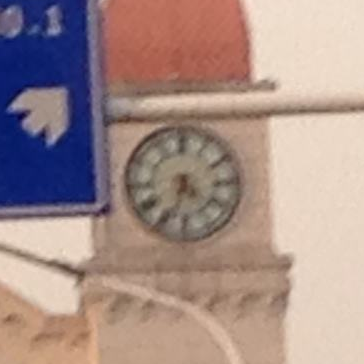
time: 4:33
